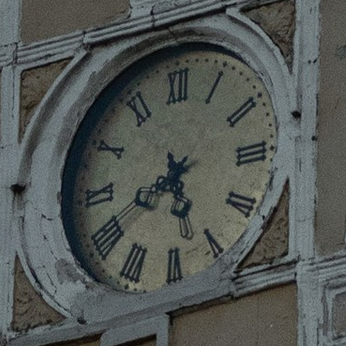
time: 5:41
